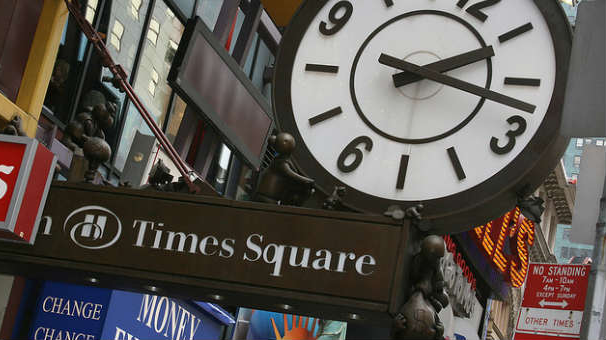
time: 2:18
